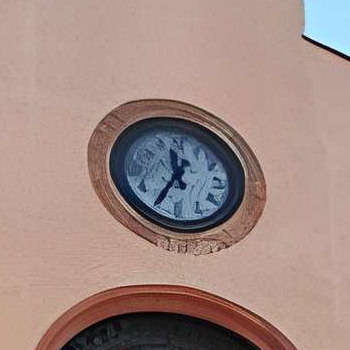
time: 11:34
